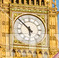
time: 5:52
